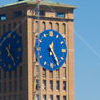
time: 12:24
